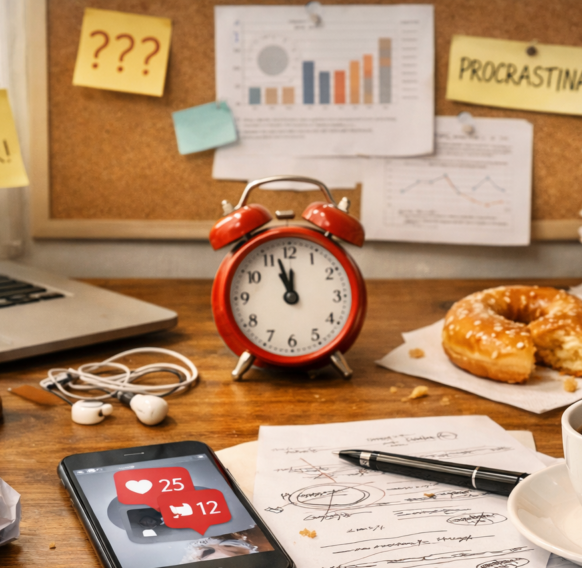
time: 11:57
